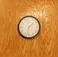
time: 1:32
